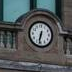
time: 6:32
